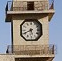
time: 5:40
